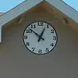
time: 12:52
